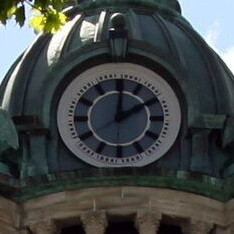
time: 2:00
